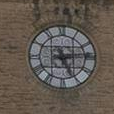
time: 5:13
